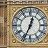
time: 12:34
